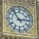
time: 2:53
